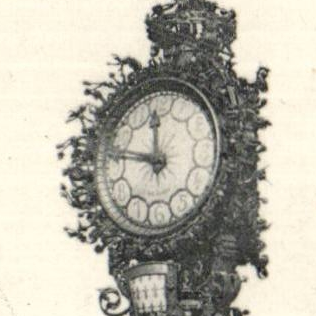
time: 11:46
